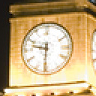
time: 9:31
